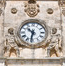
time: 10:32
